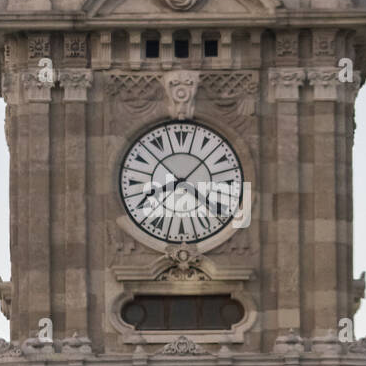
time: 8:08
